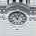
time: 11:03
